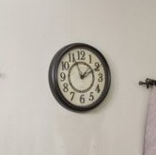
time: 1:56
